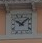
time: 10:07
